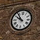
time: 9:53
